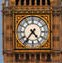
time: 4:36
